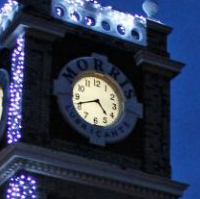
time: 4:41
